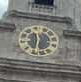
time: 11:32
